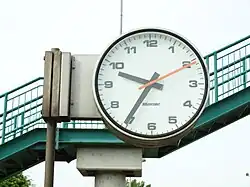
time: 9:35
